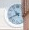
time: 10:41
